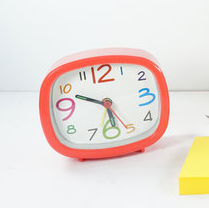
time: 5:49
